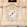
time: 1:37
